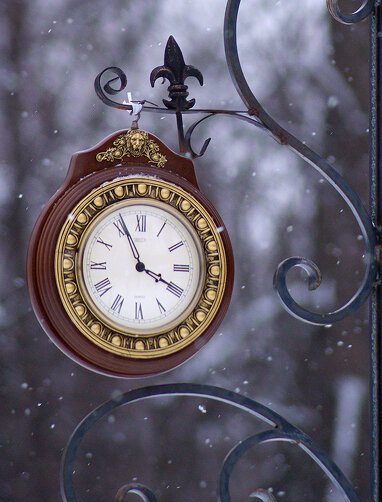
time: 3:56
